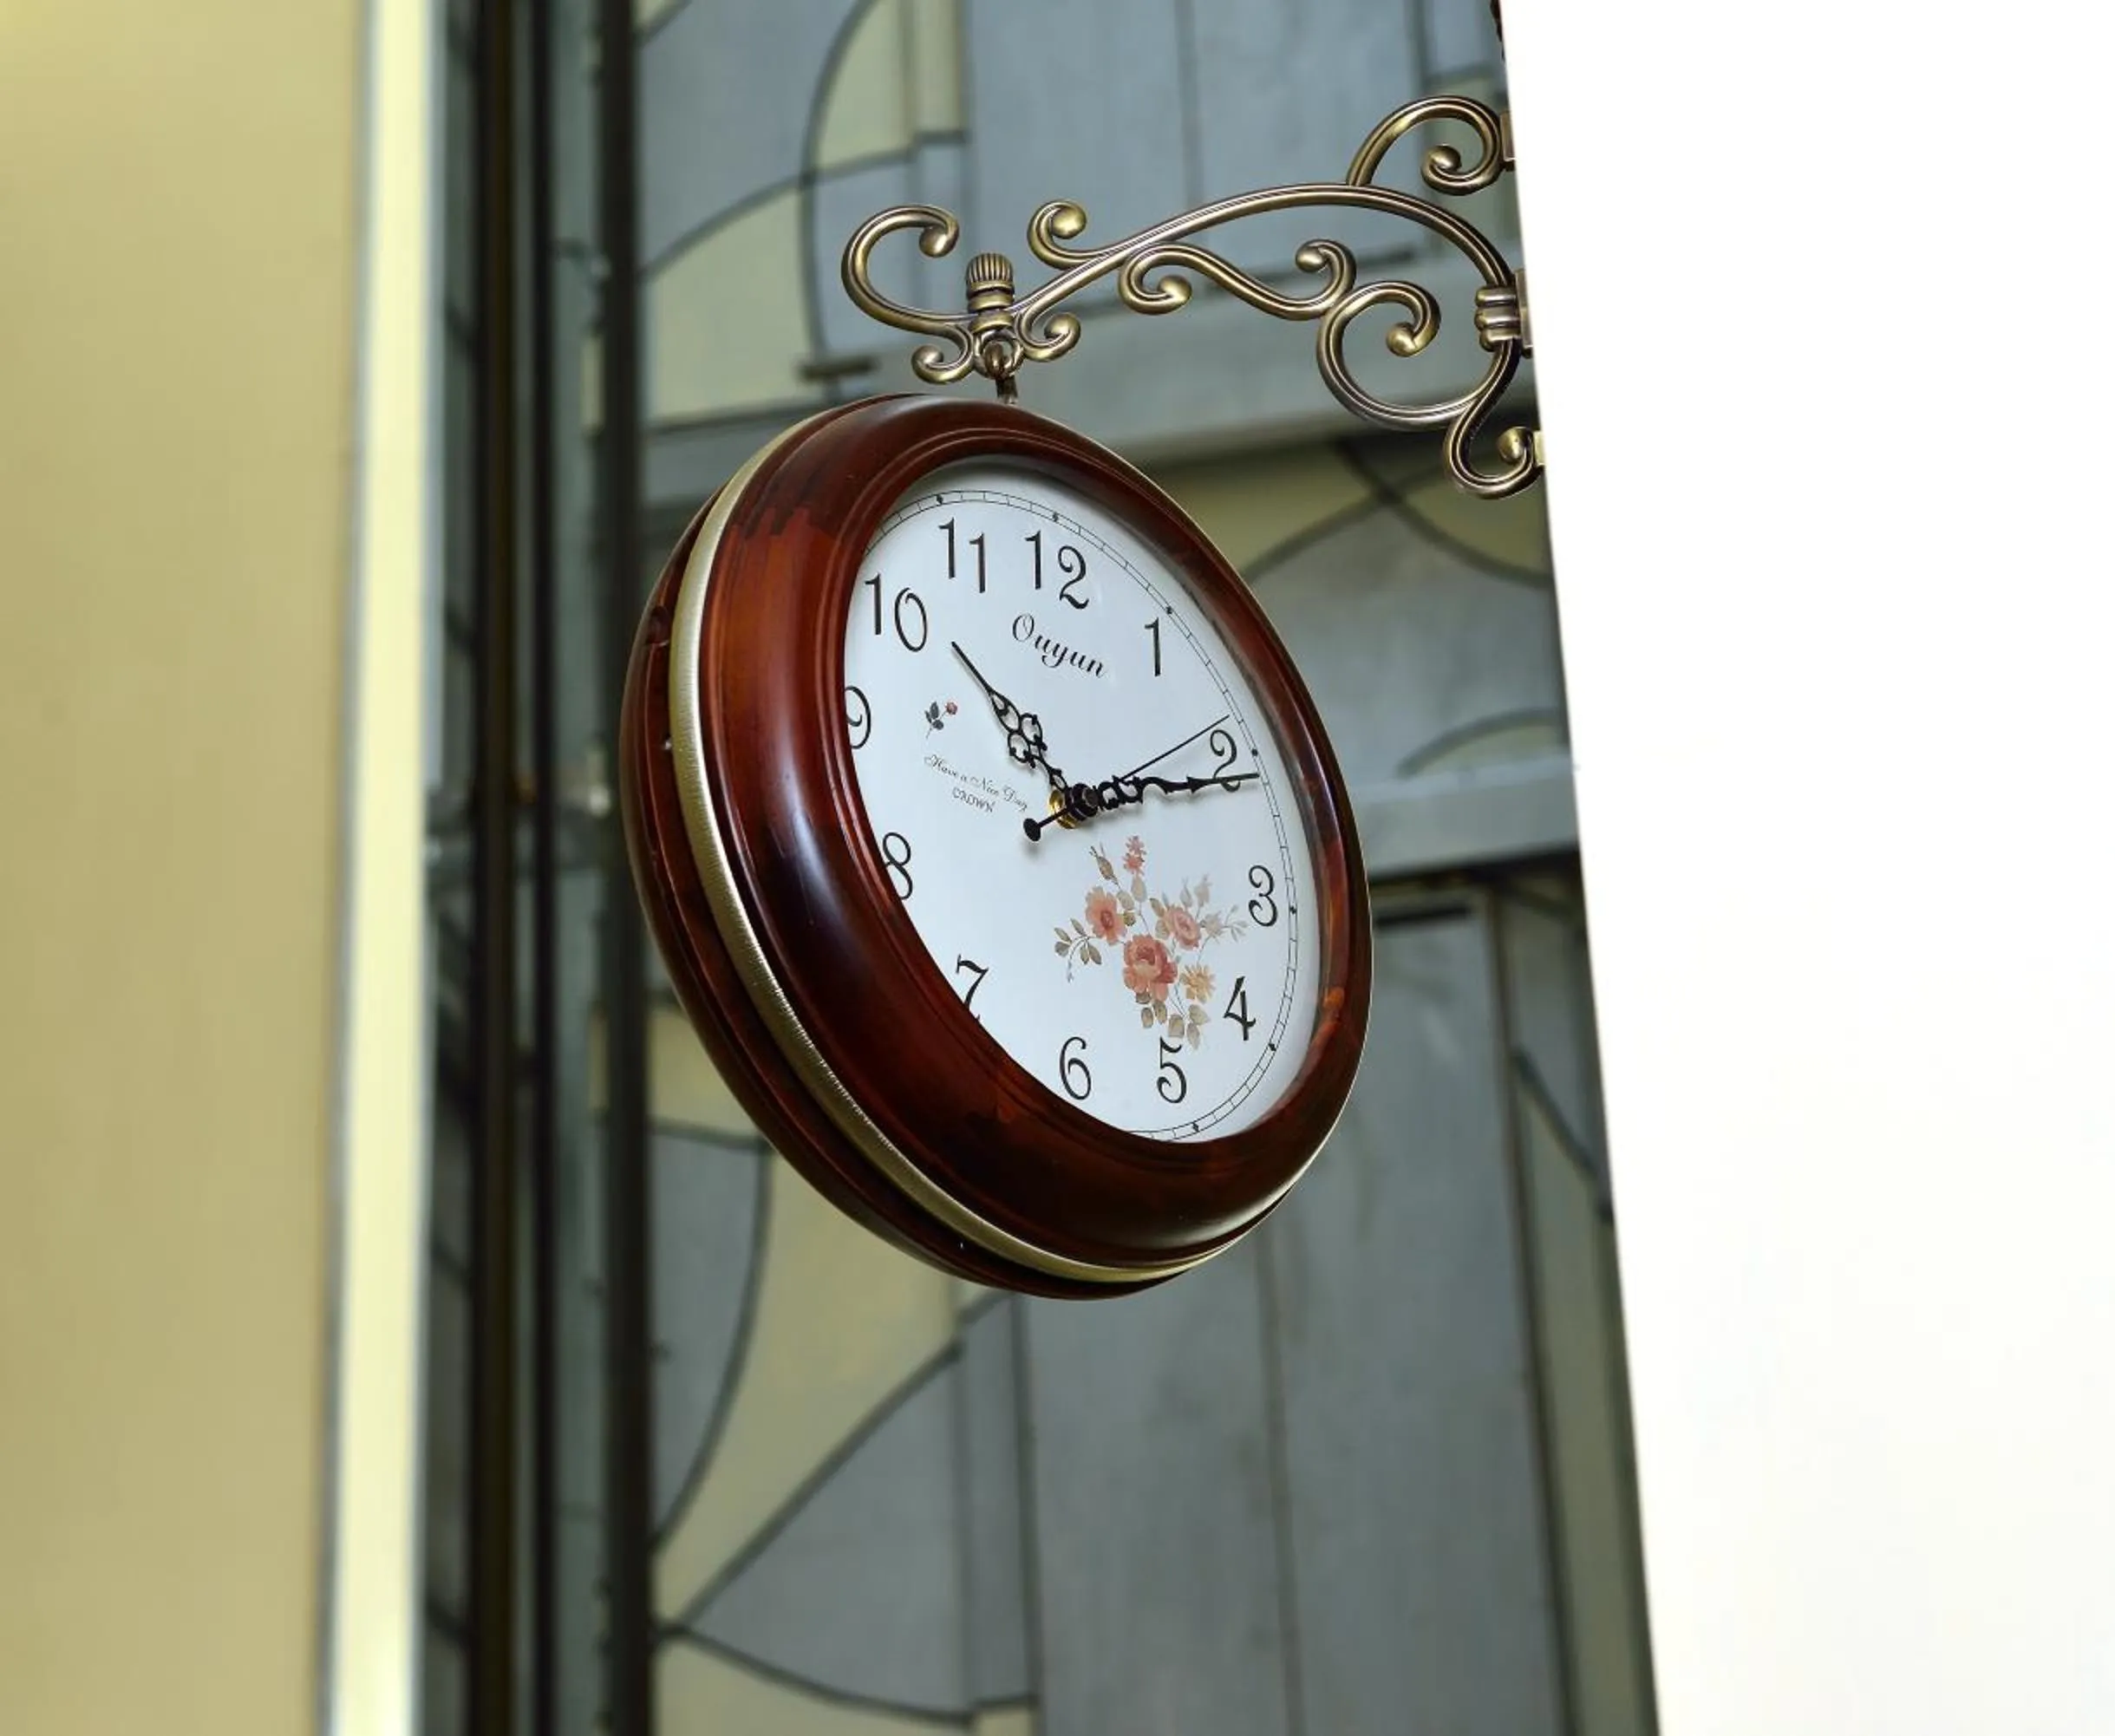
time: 10:10
